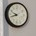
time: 9:42
